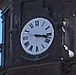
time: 3:17
